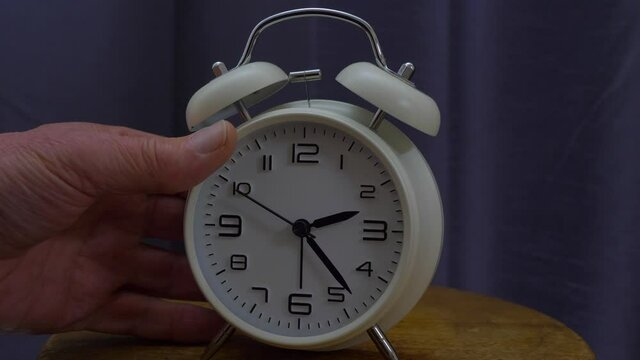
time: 2:23
